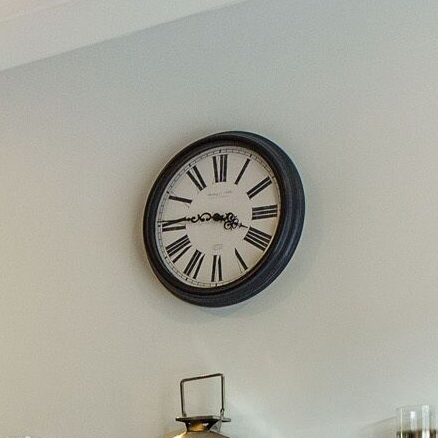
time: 3:45
